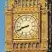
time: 8:41
